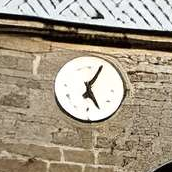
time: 5:04
